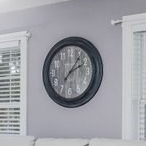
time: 2:06
